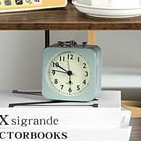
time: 5:50
